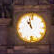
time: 10:58
